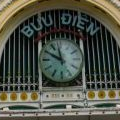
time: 11:49
